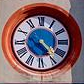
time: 4:23
